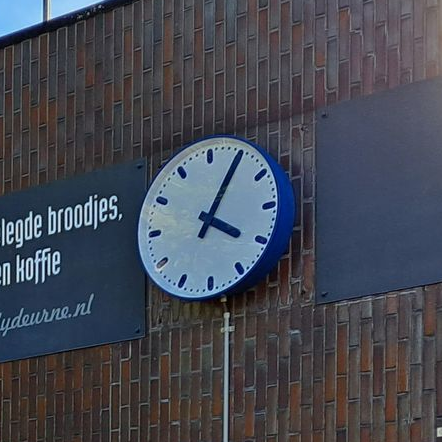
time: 4:04
